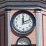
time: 12:12
